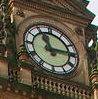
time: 11:14
